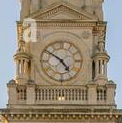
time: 4:50
